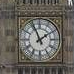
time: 1:56
